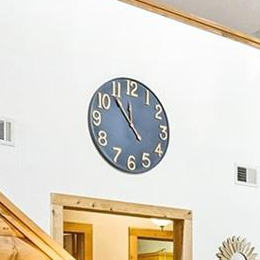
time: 11:53
